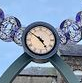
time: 4:51
